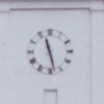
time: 11:28
